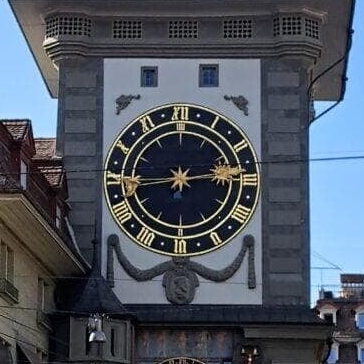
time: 2:44
